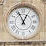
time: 12:55
